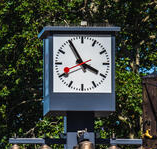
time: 3:54
